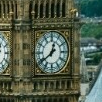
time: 12:39
